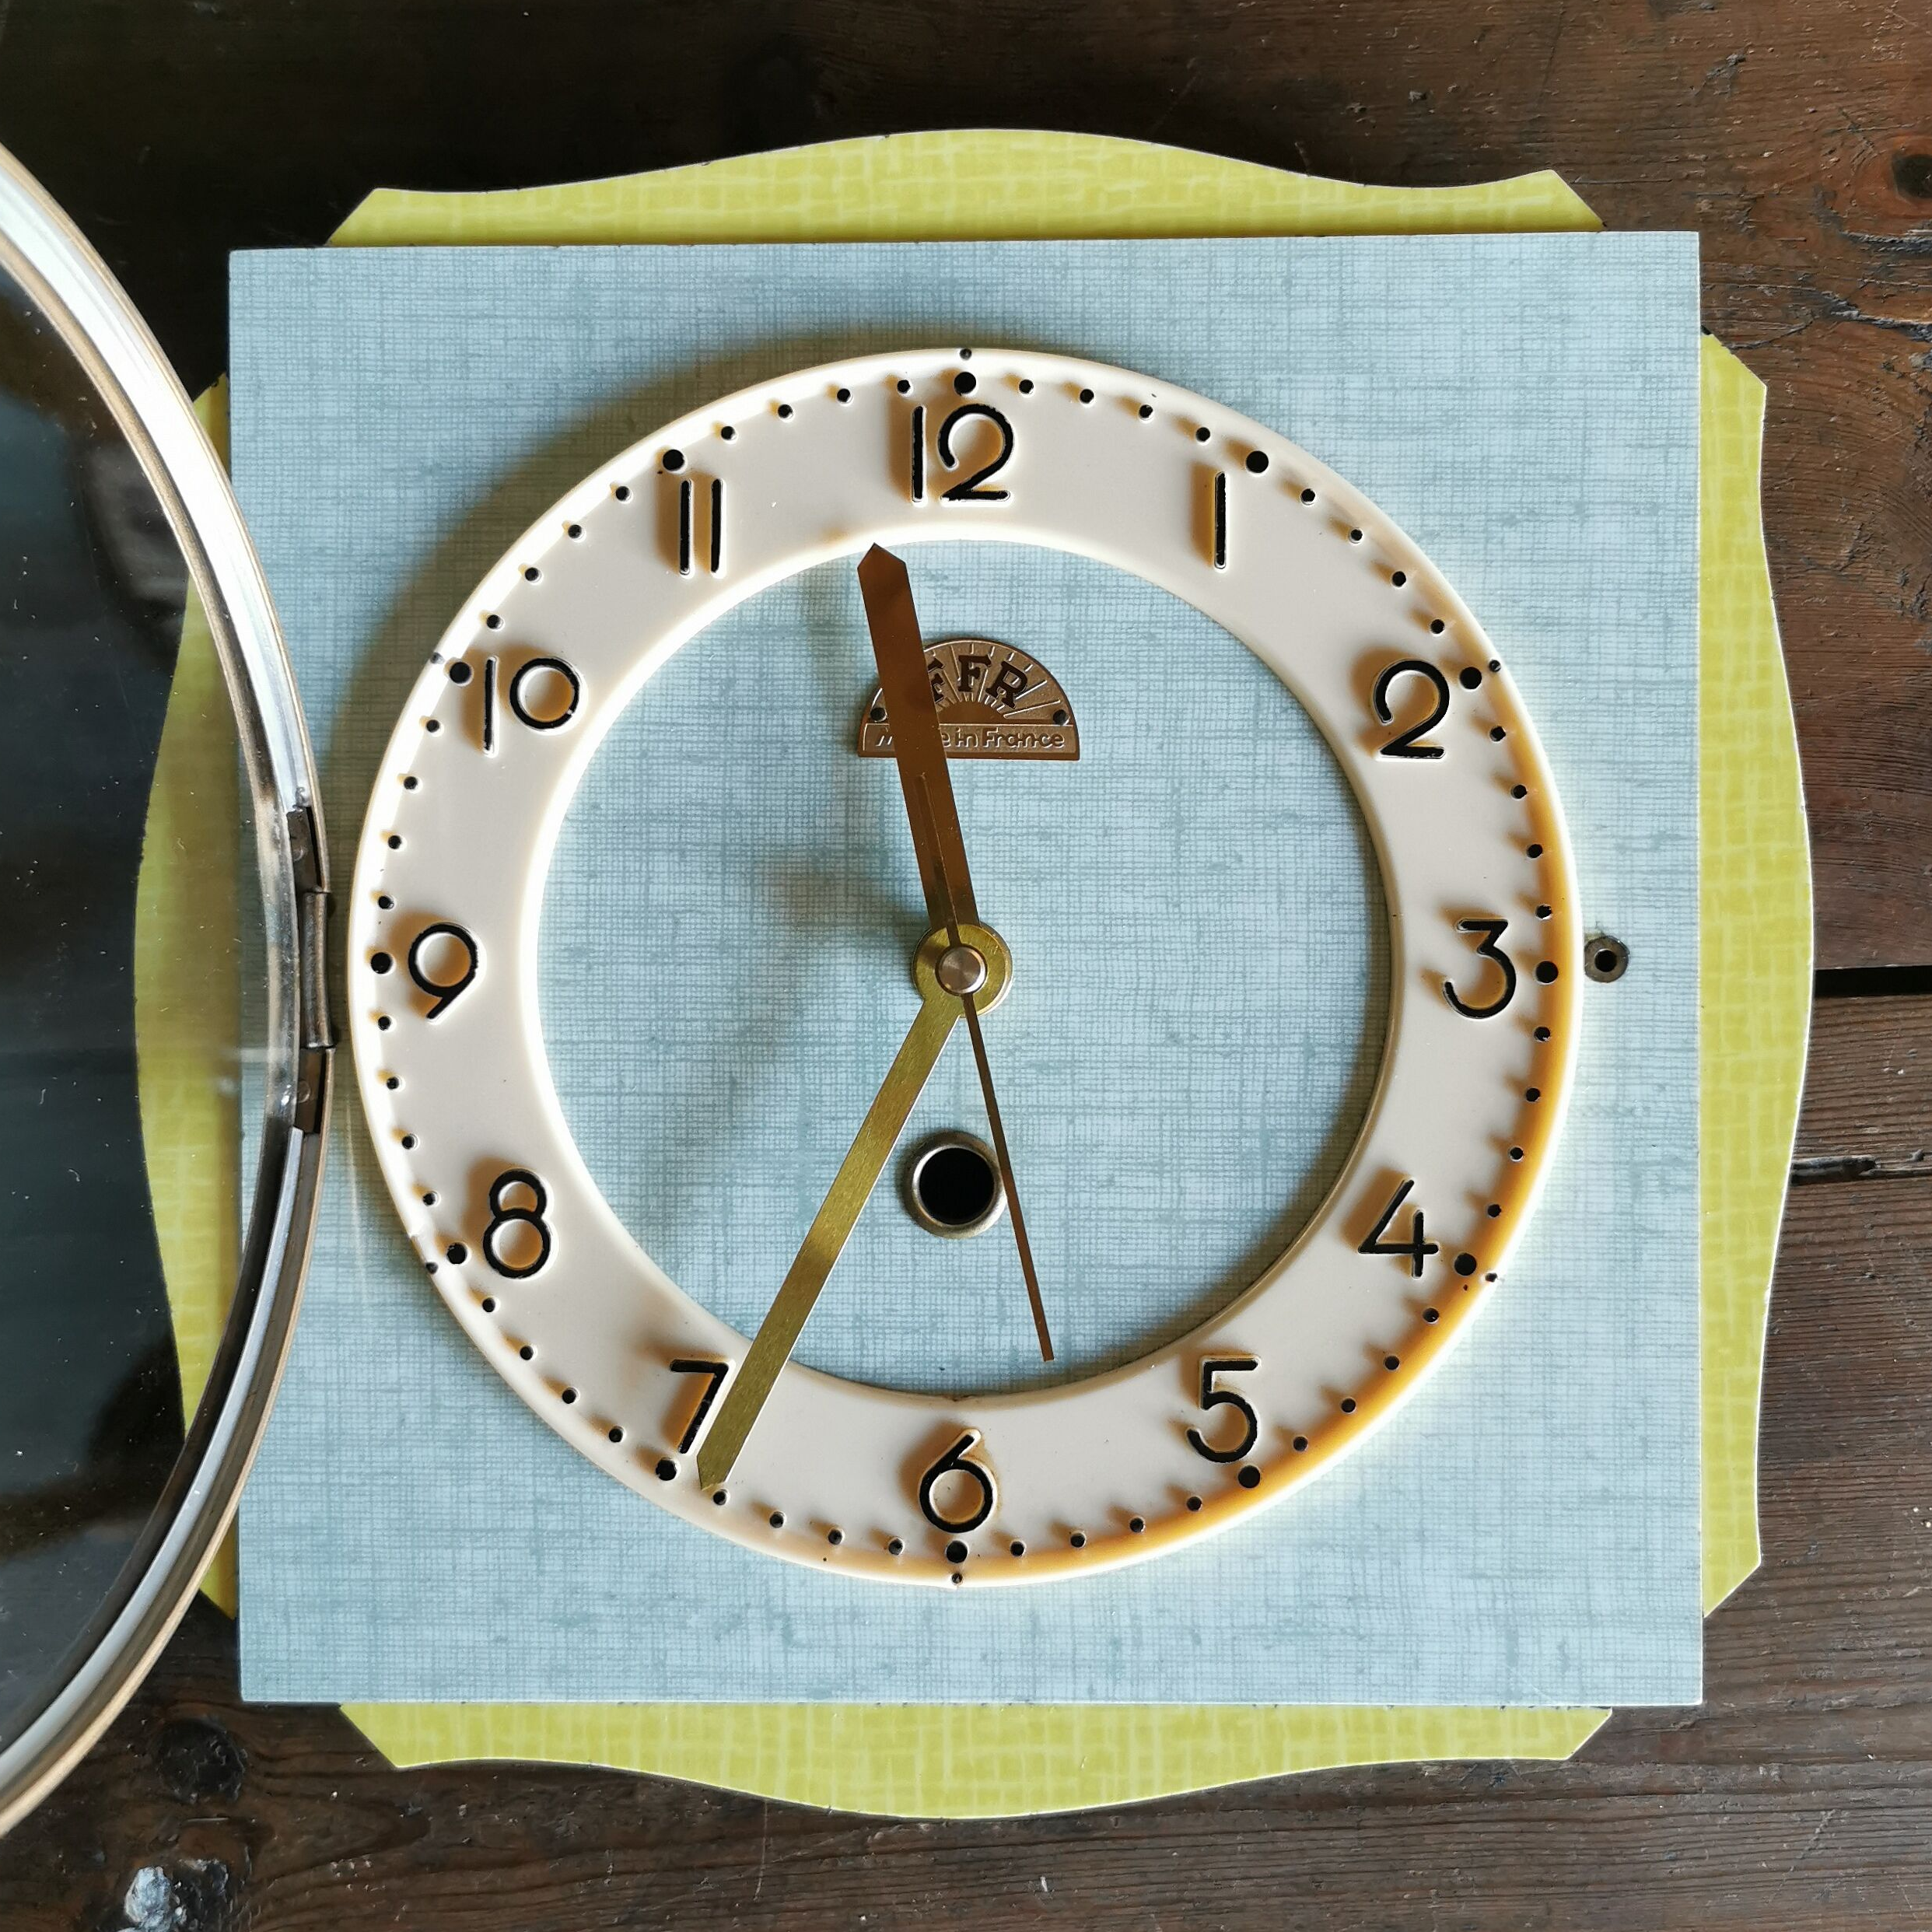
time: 11:34
